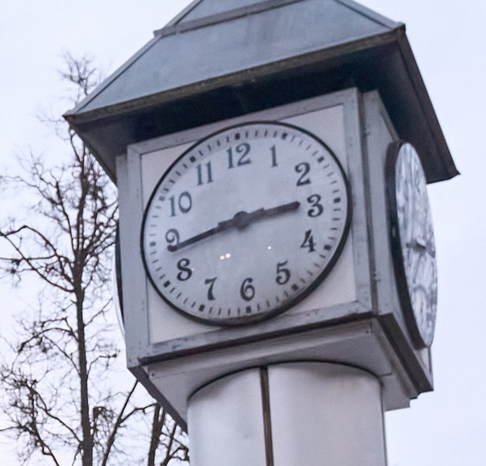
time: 2:43
